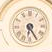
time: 6:24
